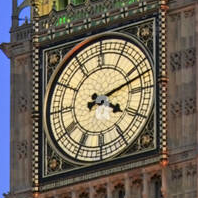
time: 4:12
